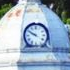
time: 9:50
